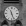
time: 11:26
